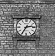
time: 2:35
